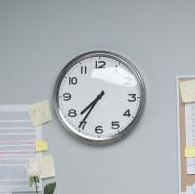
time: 7:35
